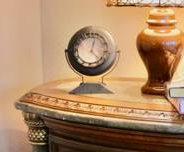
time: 12:23
